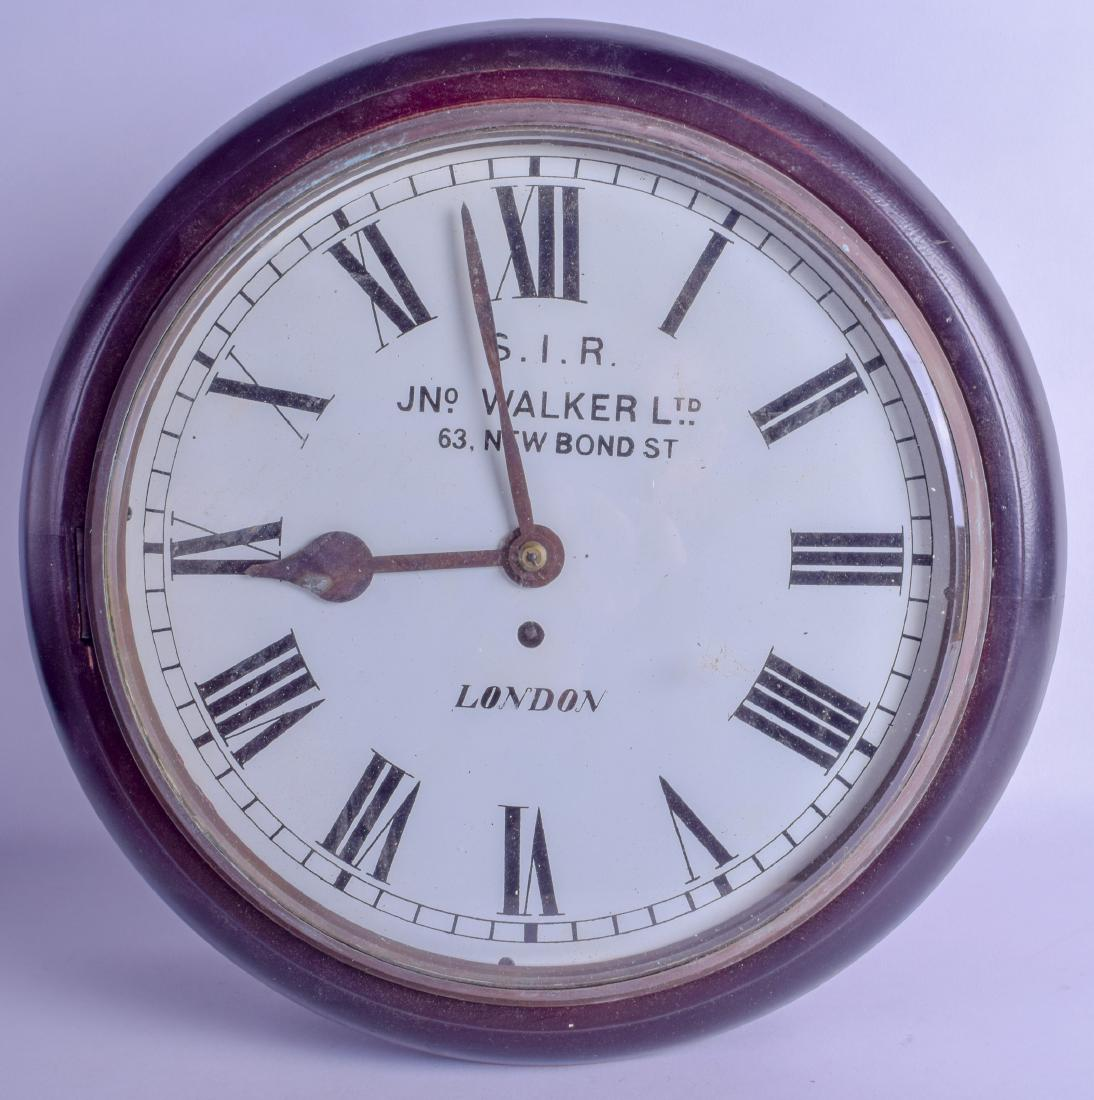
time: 8:57
